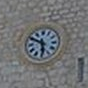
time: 5:49
